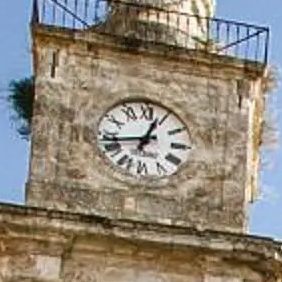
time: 12:43
